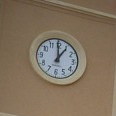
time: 12:59
